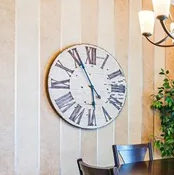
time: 5:55
